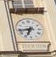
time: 6:43
